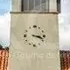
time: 3:18
